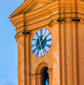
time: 1:28
